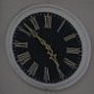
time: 4:51
